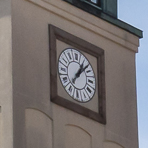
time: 1:07
